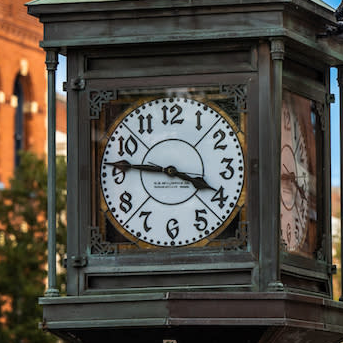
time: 3:46
